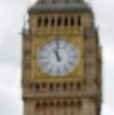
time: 10:58
